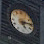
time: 5:14
